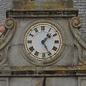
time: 1:25
